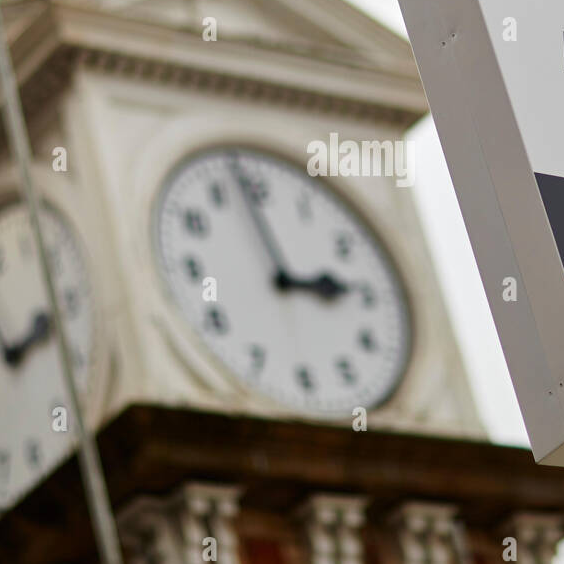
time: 2:58
